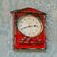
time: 2:42
